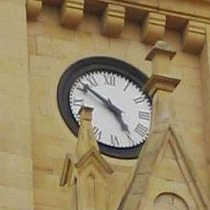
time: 4:51
